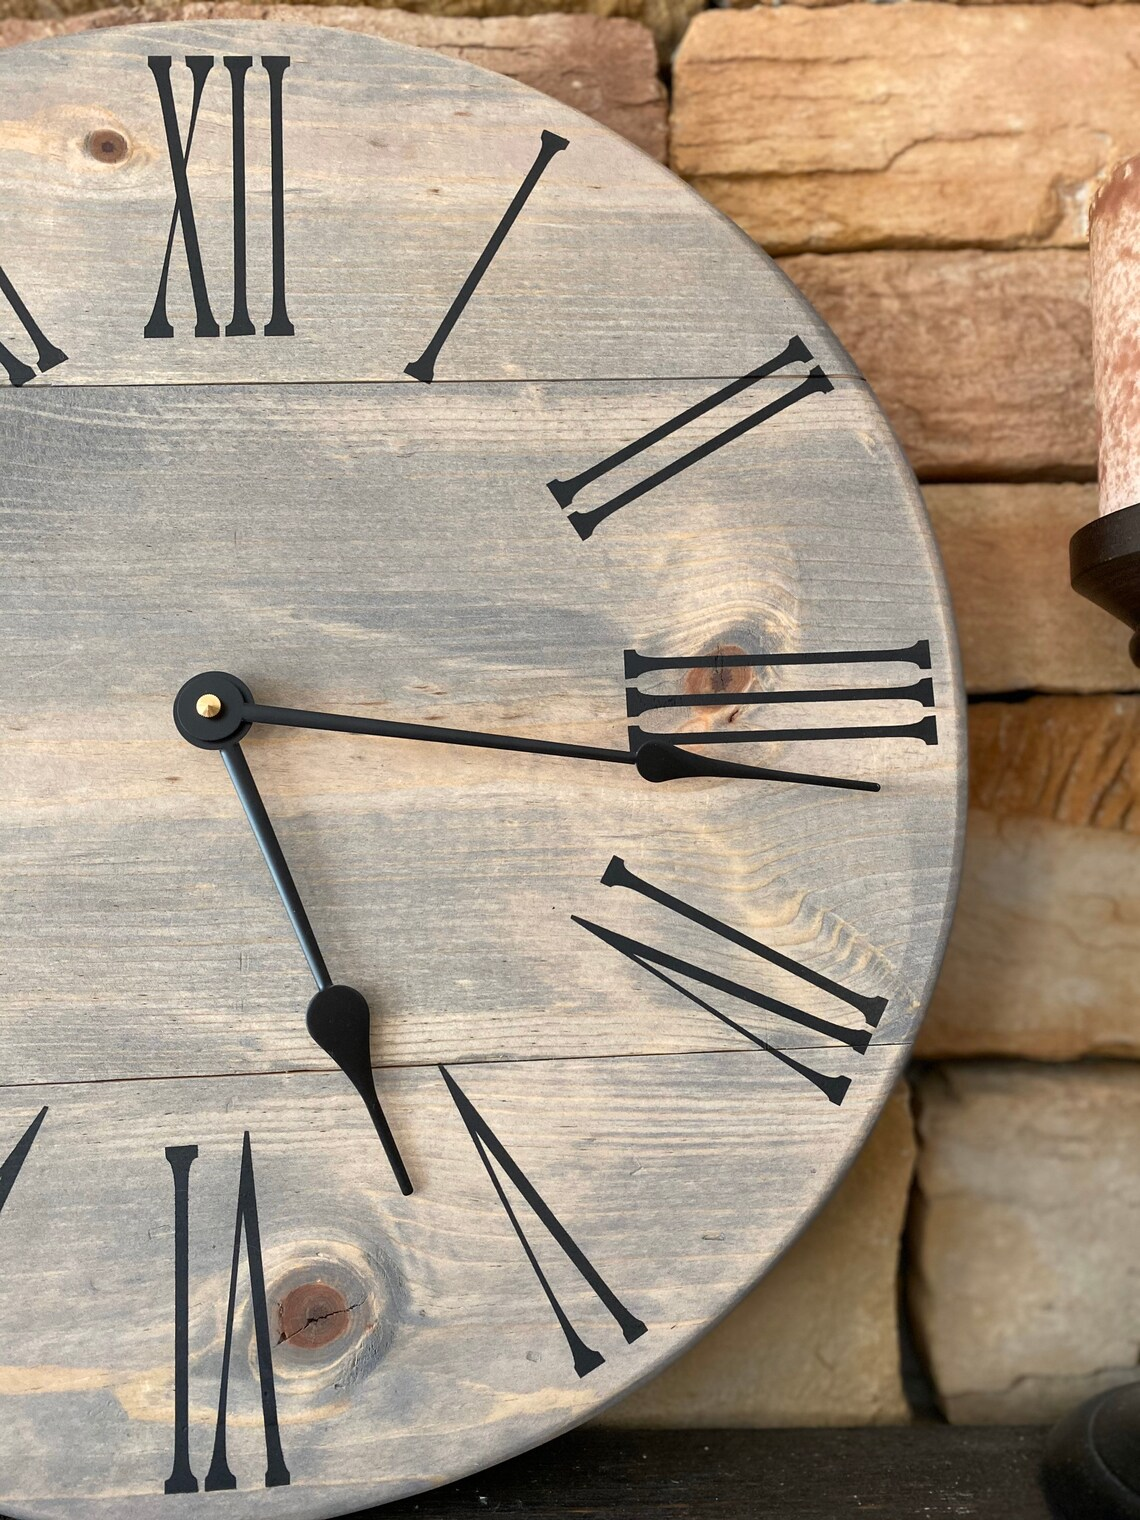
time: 5:15
